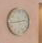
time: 2:43
